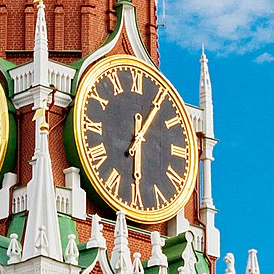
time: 6:06
